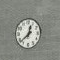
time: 12:38
